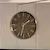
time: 1:32
